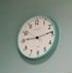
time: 9:13
